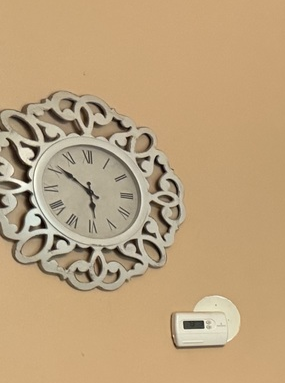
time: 5:51
